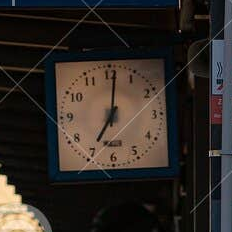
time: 7:01
